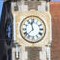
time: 11:37
